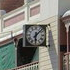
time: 6:07
